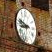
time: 8:47
